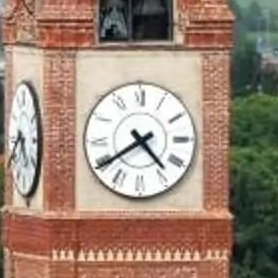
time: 4:39
